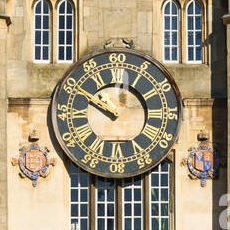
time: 9:50
